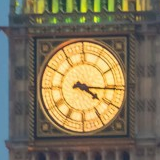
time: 4:15
